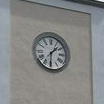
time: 1:30
